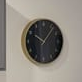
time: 10:06
